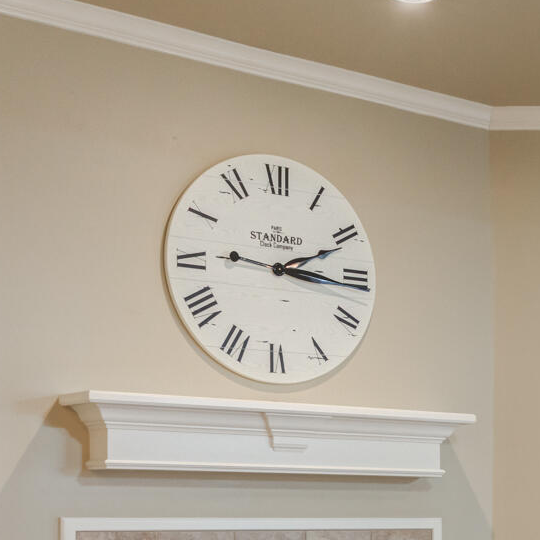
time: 2:16
